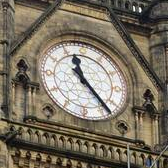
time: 11:23
